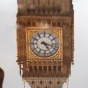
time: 5:17
